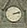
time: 2:12
